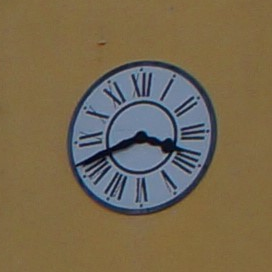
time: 3:41
